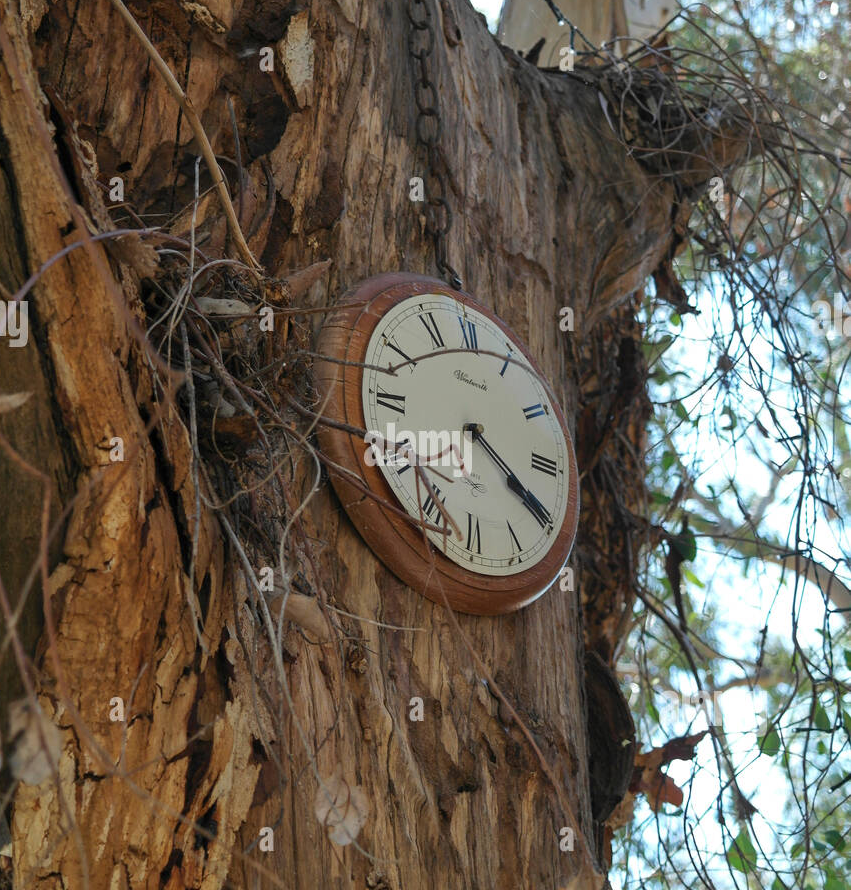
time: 4:20
